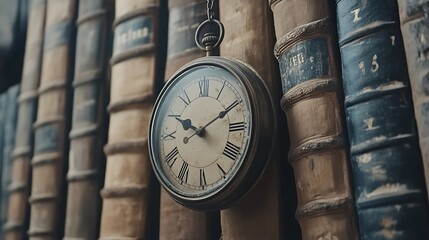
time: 9:10
